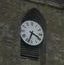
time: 3:33
